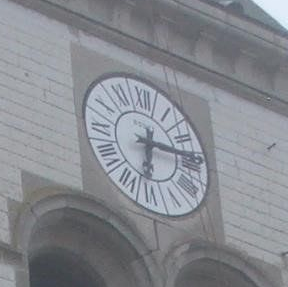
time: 6:14
